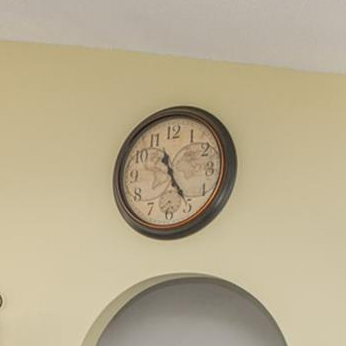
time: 11:25
